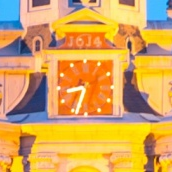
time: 8:33
